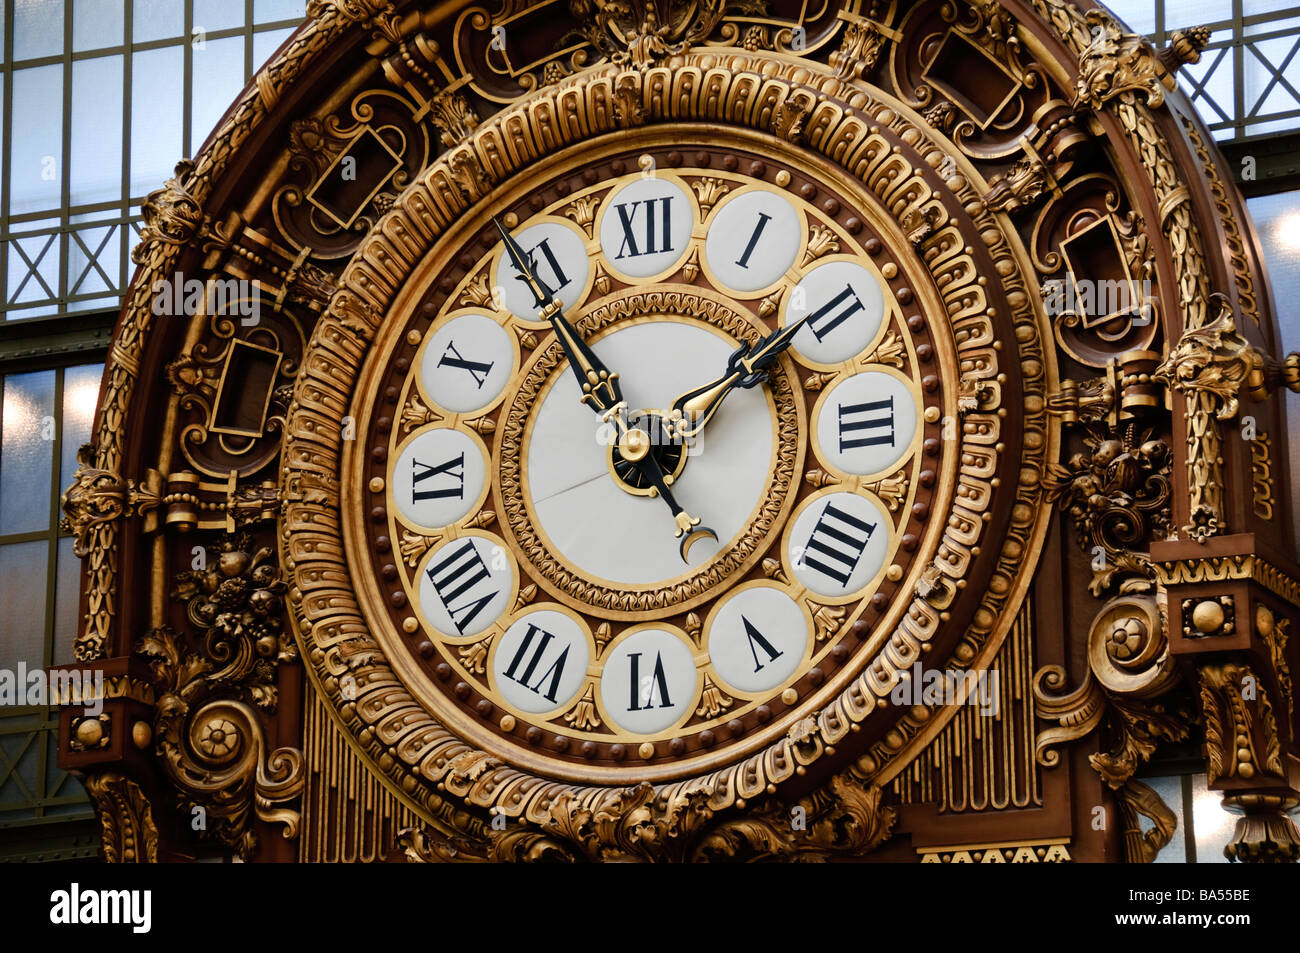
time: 1:54
